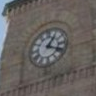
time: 1:18
